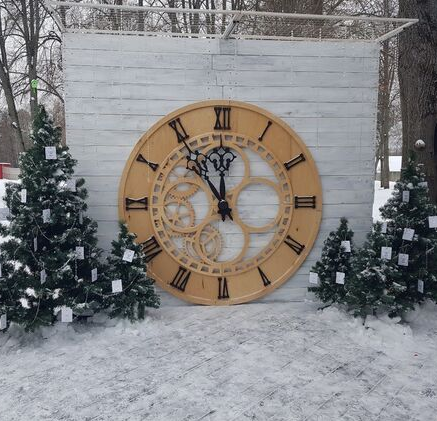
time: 11:54
